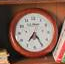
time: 7:24
